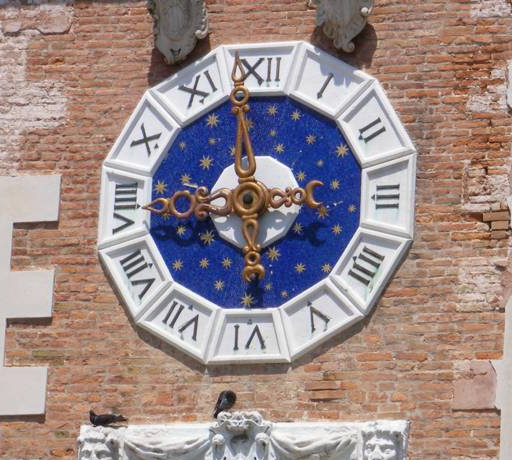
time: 5:58
